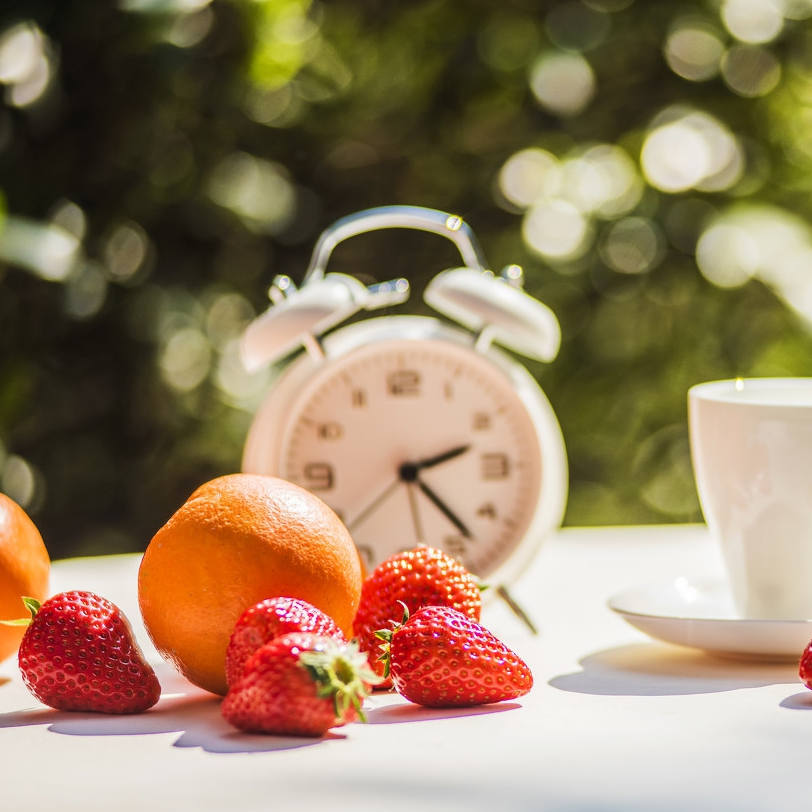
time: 2:23
